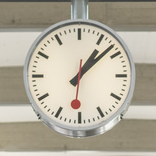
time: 1:08
